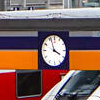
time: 3:56
